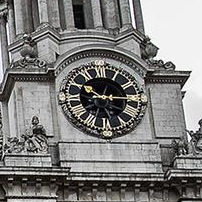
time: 10:14
